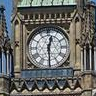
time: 12:29
